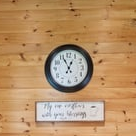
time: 12:55
